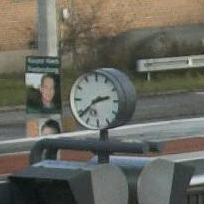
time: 2:38
